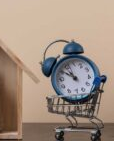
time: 10:50
